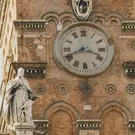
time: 3:40
